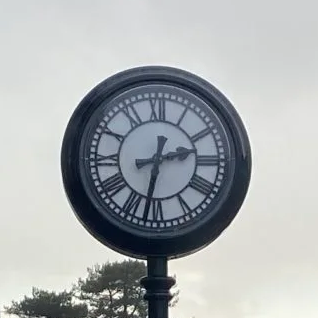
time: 2:32
